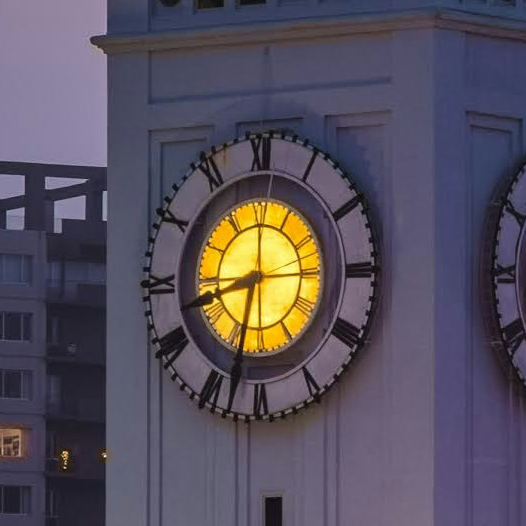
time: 8:32
